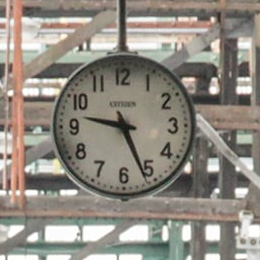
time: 9:26
